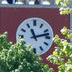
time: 11:12
